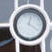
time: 12:20
